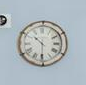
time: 10:30
